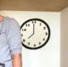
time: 7:59
